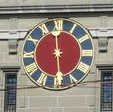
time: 5:59
